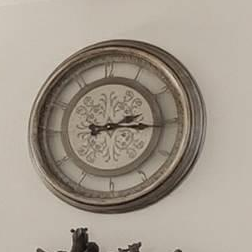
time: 2:15
